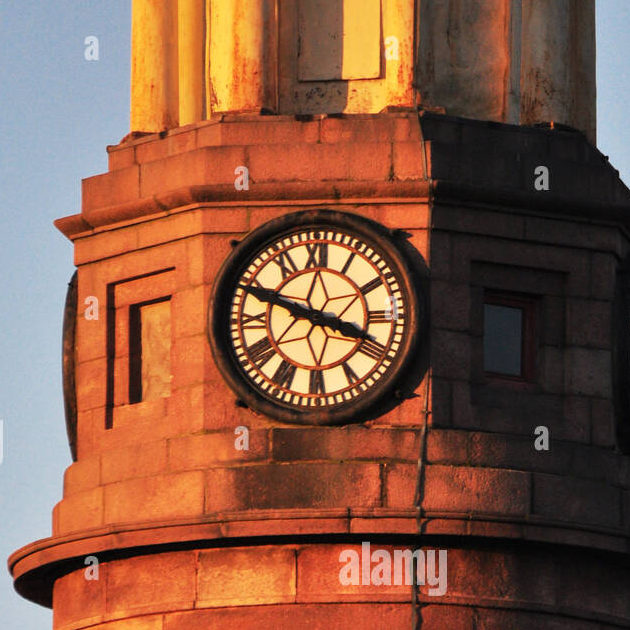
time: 3:48
